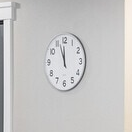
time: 11:56
